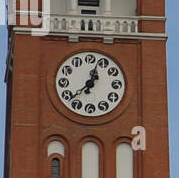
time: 12:38
